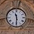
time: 11:30
